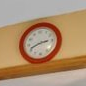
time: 2:41
